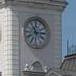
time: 11:13
